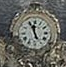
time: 11:56
